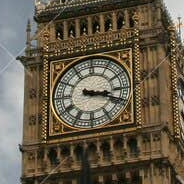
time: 3:18
